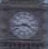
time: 3:43
